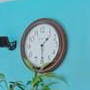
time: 1:29
